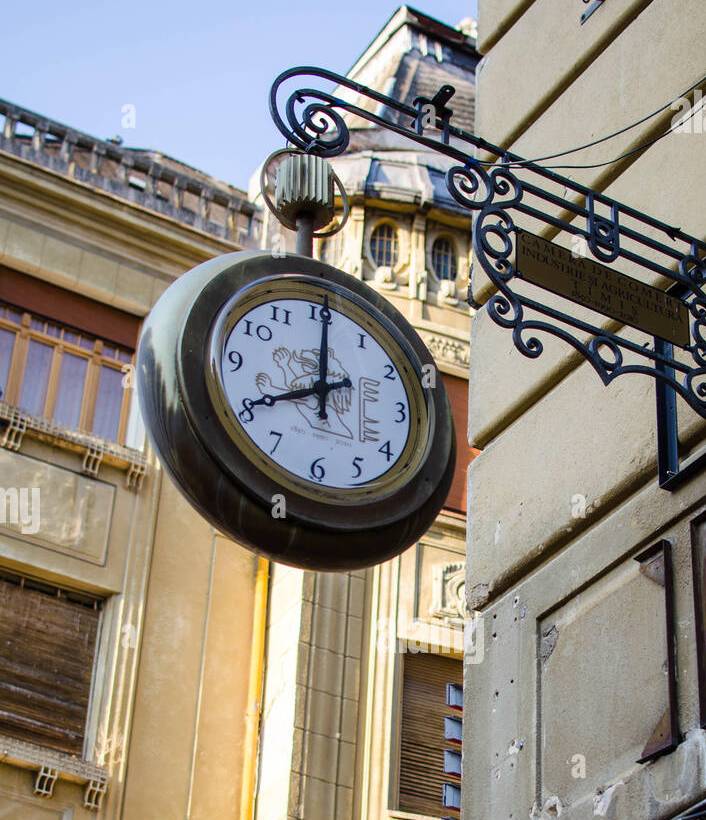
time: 8:00
